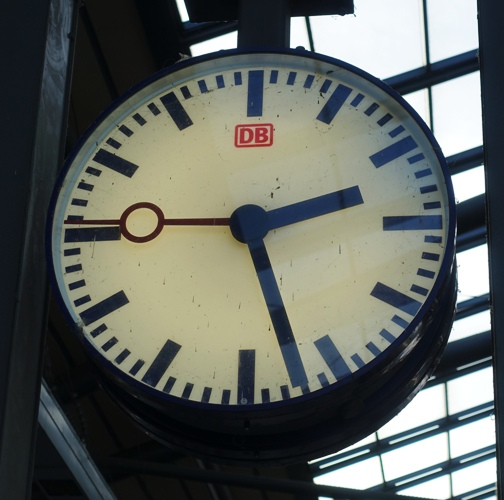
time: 2:27
